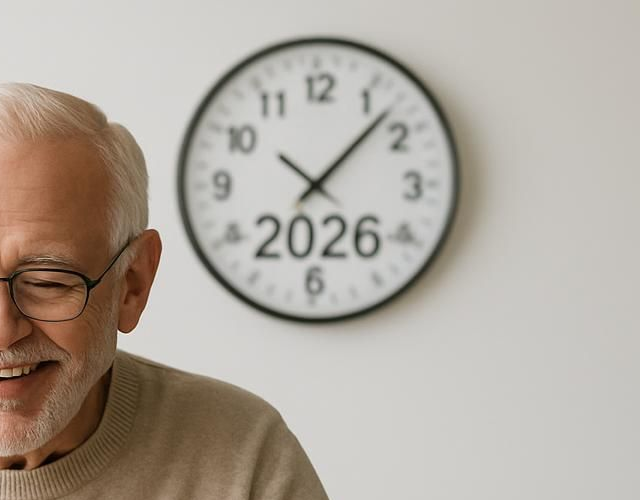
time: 10:07
